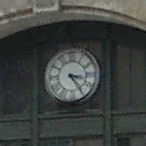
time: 3:24
